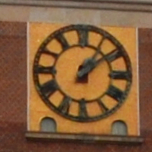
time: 1:08
